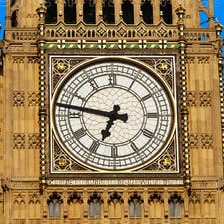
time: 6:46
